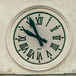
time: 9:55
